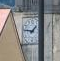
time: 1:46
